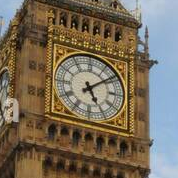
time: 5:08
